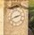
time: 2:41
